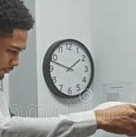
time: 1:47
